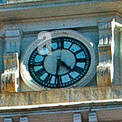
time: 4:31
